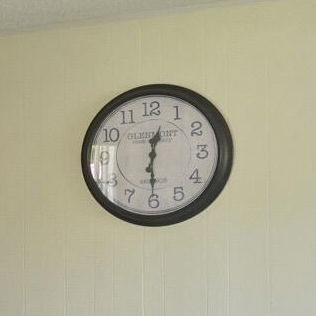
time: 12:30
